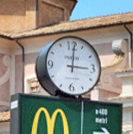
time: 3:01
